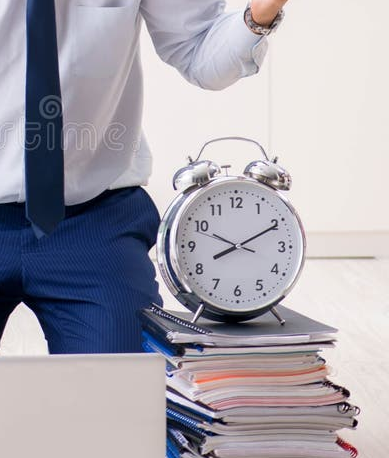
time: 8:10
